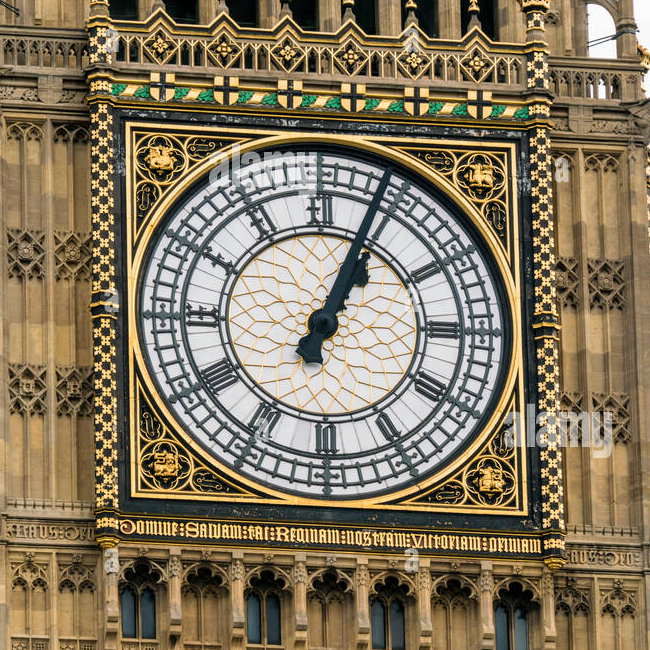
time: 1:03
